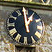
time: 12:59
